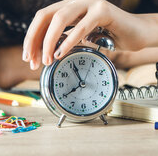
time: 7:56
